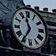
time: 11:35
